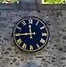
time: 11:44
